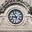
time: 8:54
